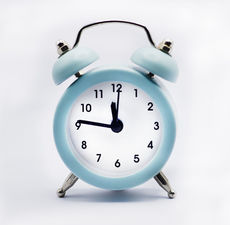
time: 11:46
